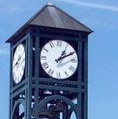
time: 1:10
